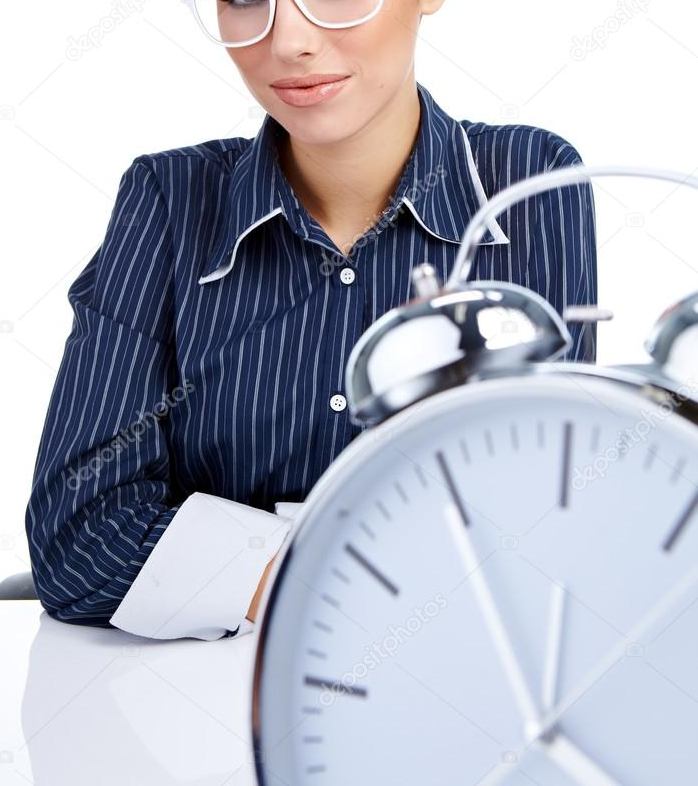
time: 11:54
